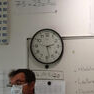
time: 2:27
